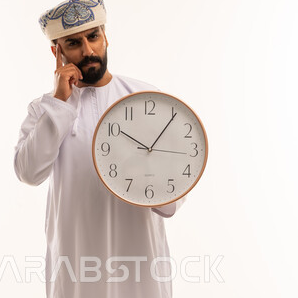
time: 10:05
